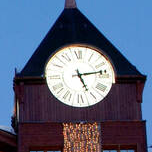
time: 5:13
